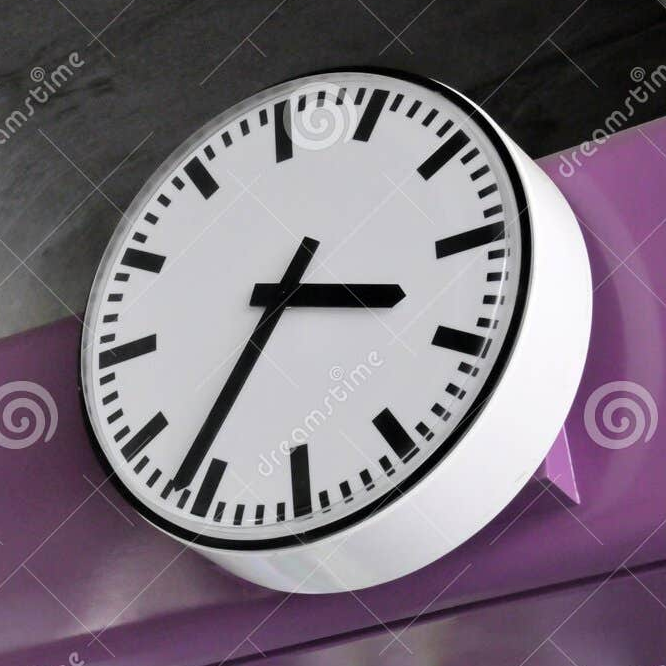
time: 3:36
